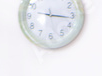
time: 3:16
